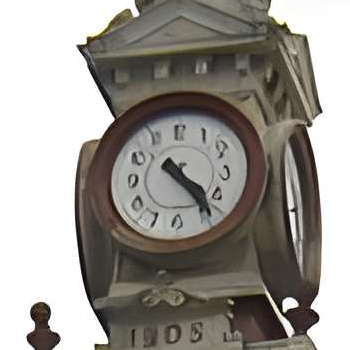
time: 4:23
